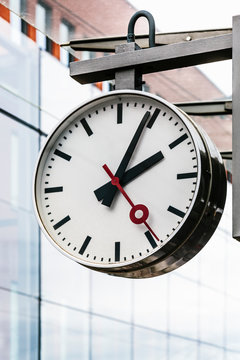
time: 2:04
